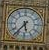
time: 5:36
